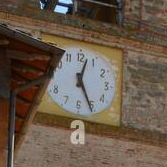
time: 12:26
